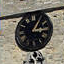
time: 3:05
